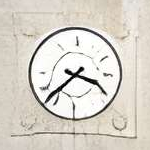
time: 3:37
